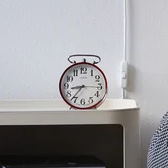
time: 8:36
